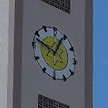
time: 12:48
